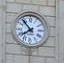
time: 7:53
